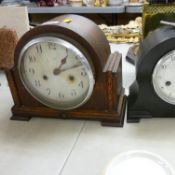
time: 1:11
